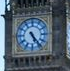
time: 5:23
